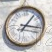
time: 1:16
